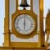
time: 6:00
